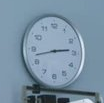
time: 2:42
